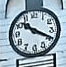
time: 10:19
